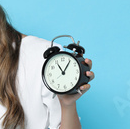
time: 11:06
